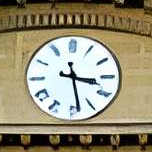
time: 3:28
